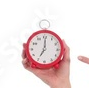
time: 7:00
